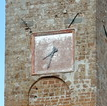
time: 7:32
